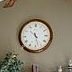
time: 4:27
